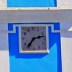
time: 7:12
